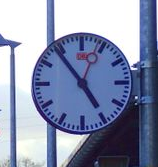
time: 4:53
